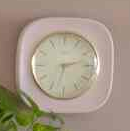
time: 2:32
